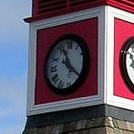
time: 11:21
